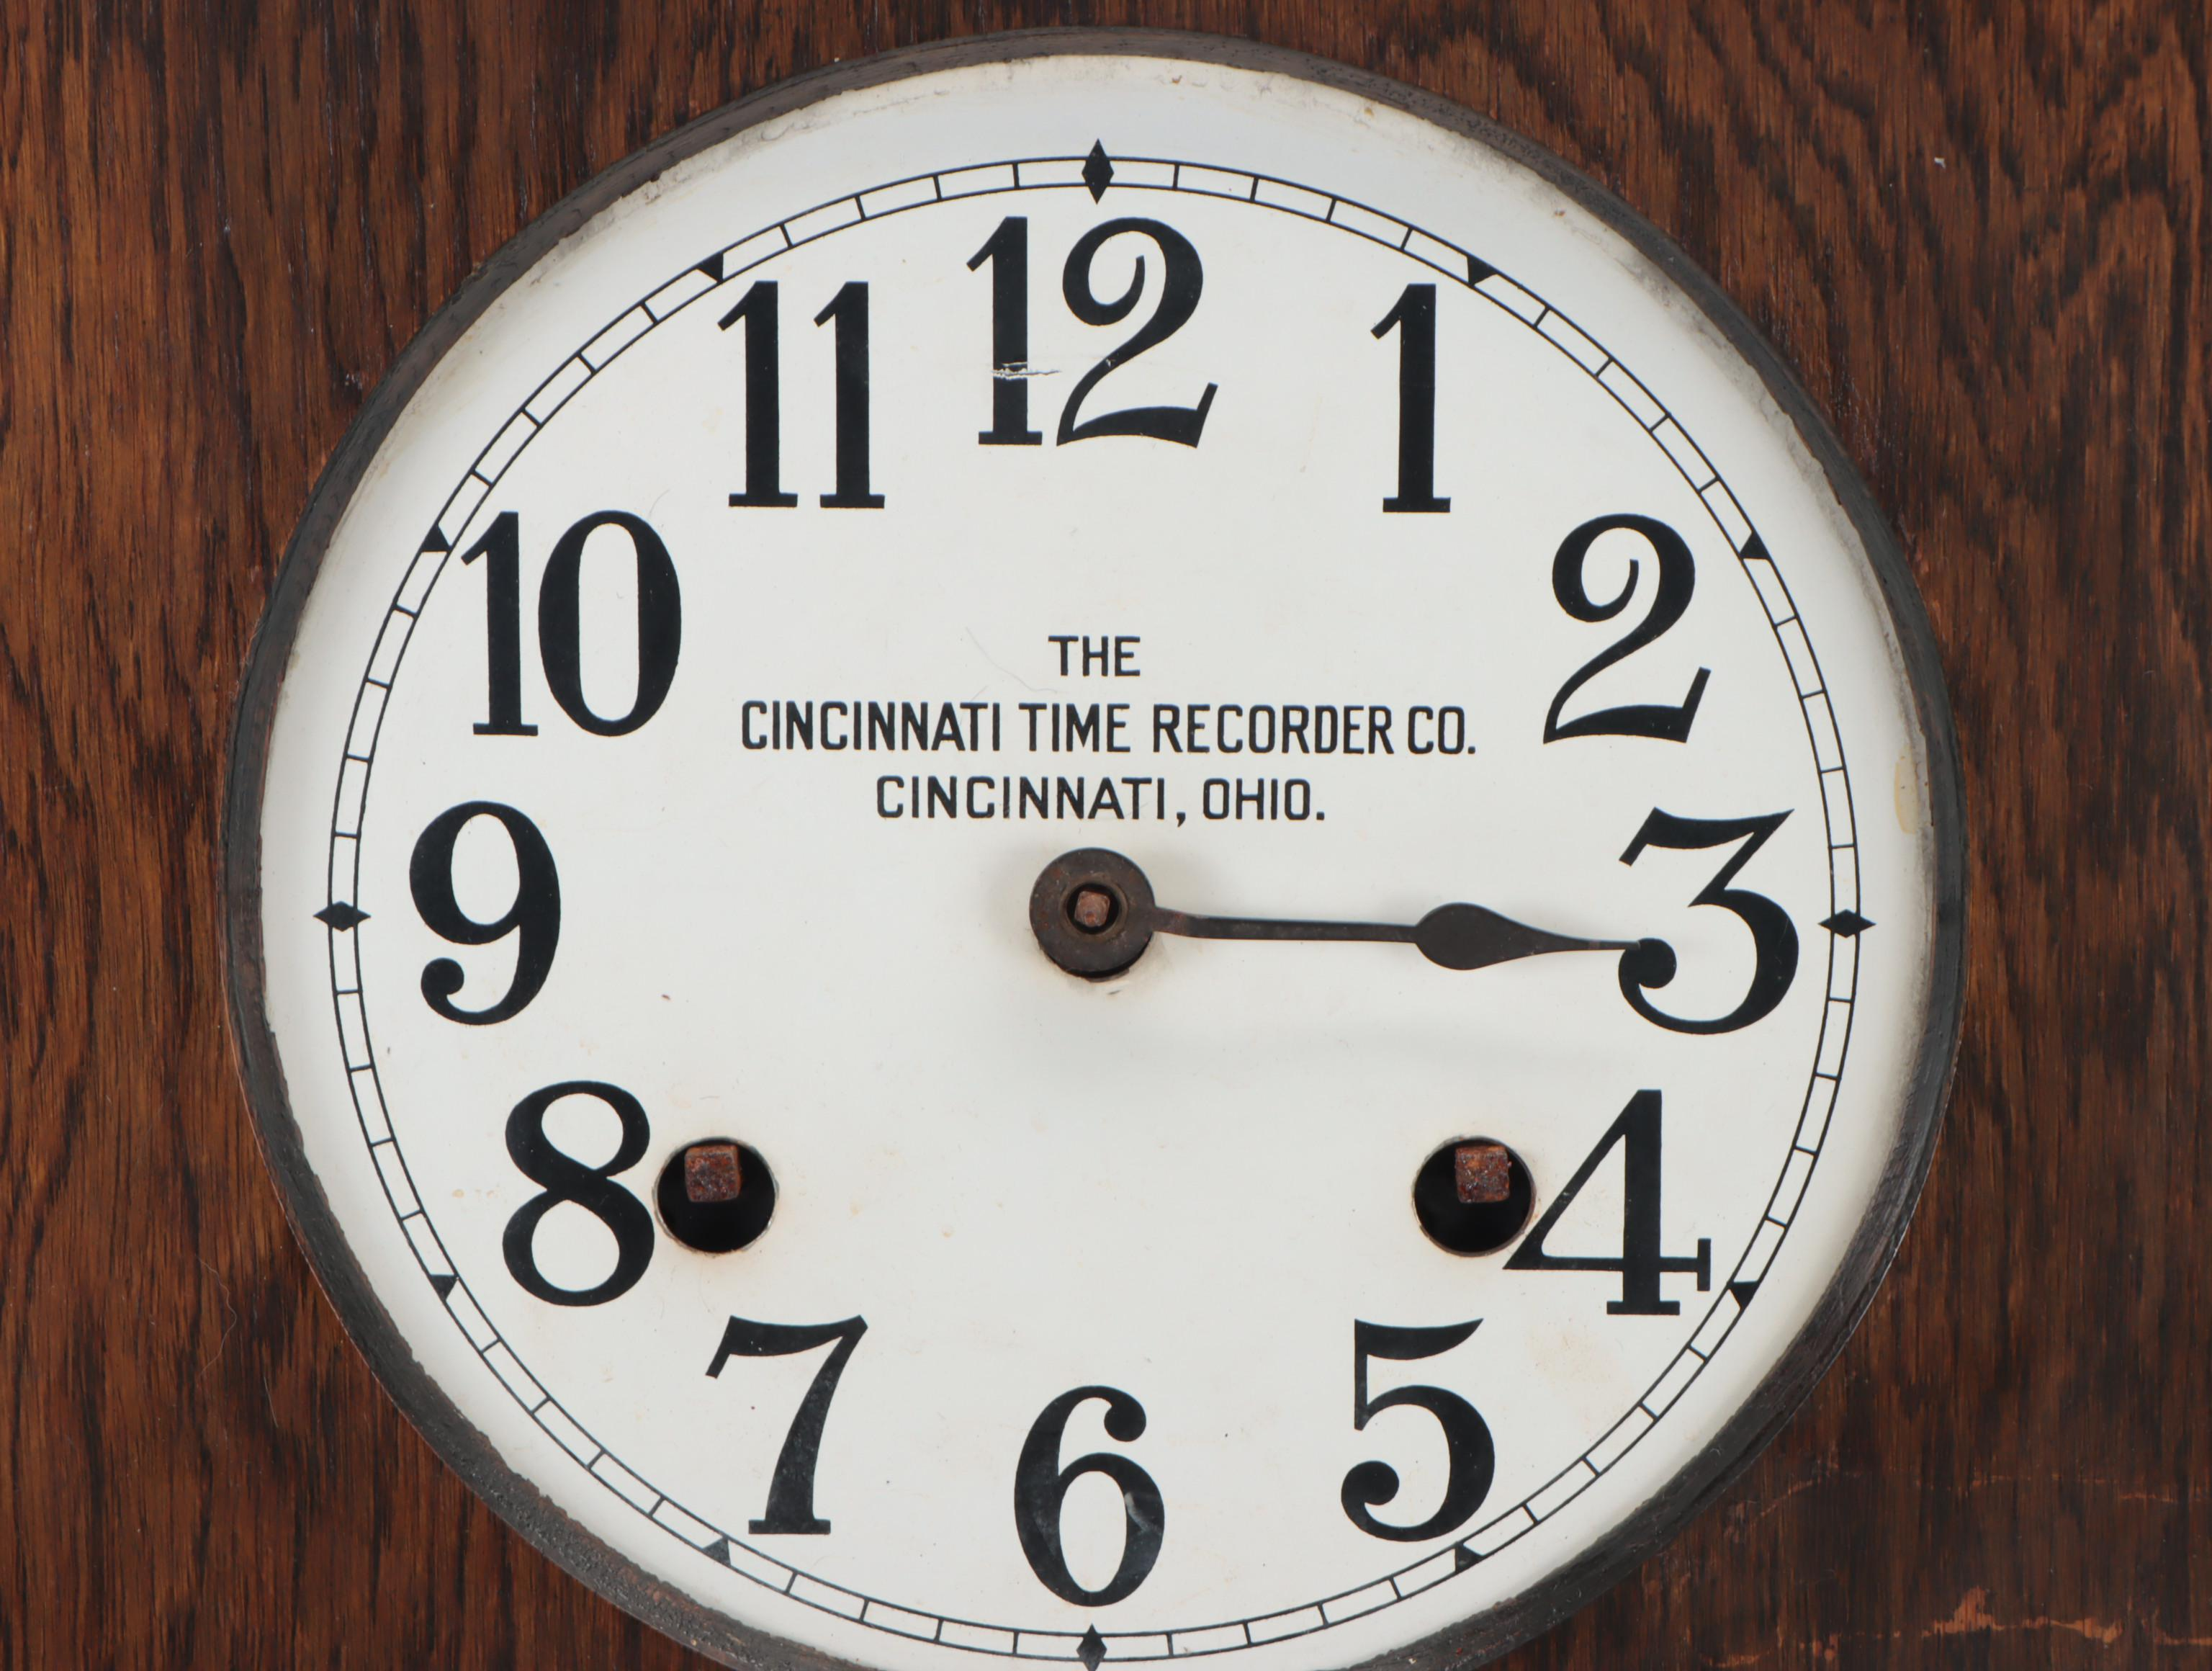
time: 12:15
